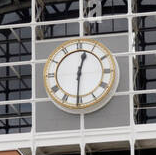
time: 12:30
